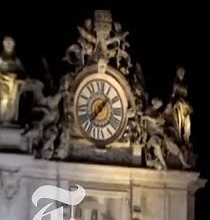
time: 1:37
